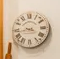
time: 3:43
